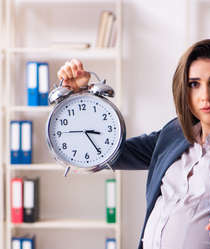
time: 3:24
